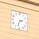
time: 2:32
